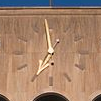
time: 6:58
